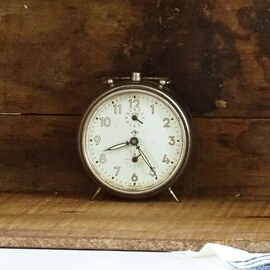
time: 8:24
